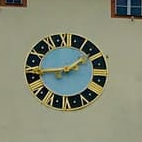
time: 1:42
